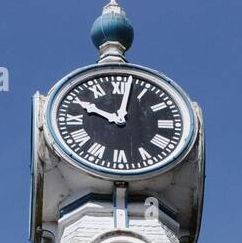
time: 10:02
